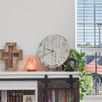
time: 9:41
